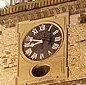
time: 8:48
